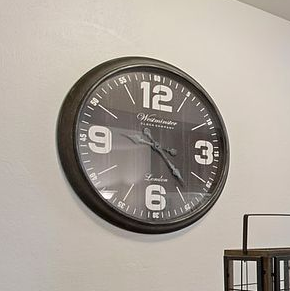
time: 4:23
